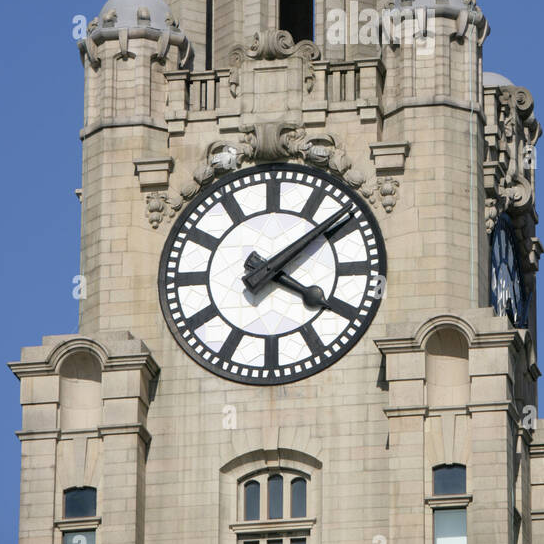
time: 4:08
